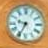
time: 9:34
